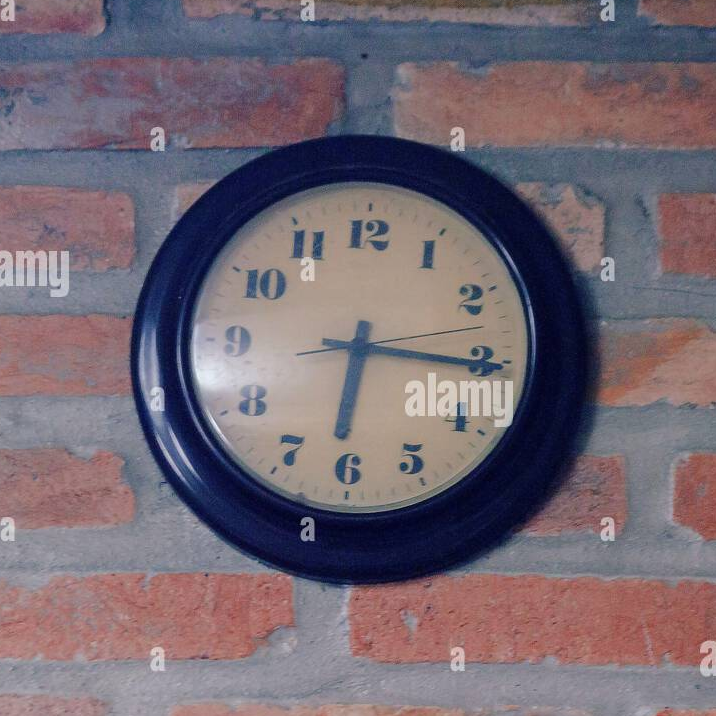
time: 6:15
